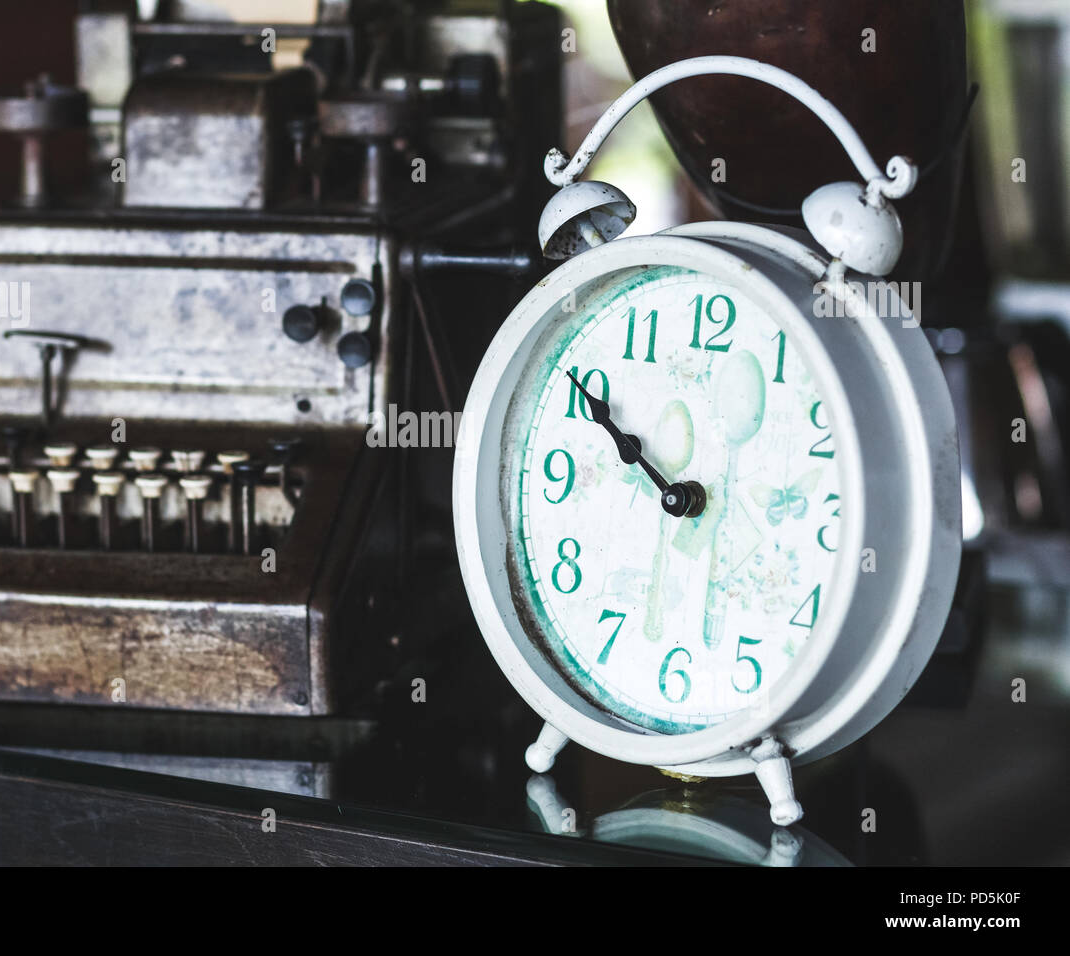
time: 9:50
